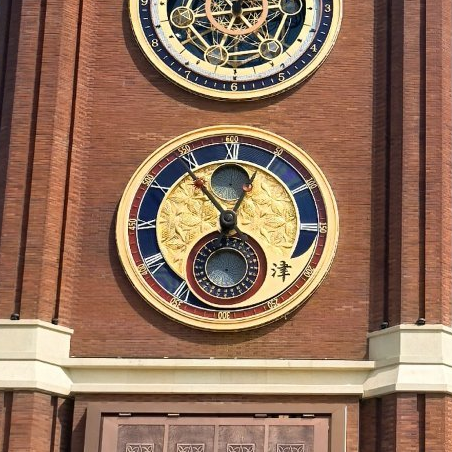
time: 12:53
